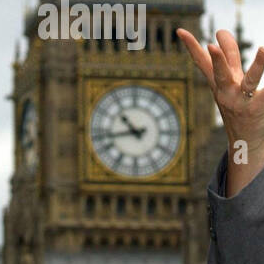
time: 10:43
